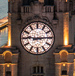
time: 9:14
